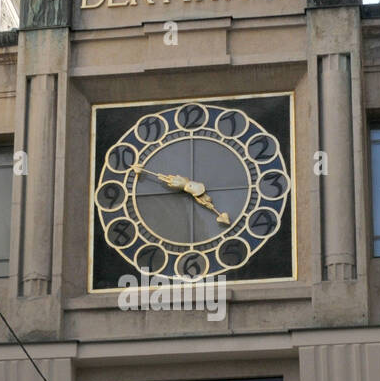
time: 4:49
